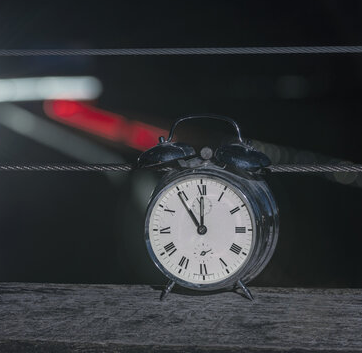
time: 11:00
